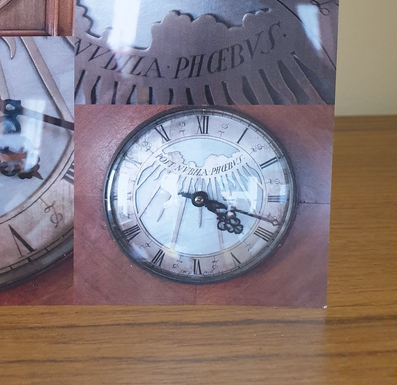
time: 4:18
